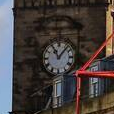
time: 11:07
